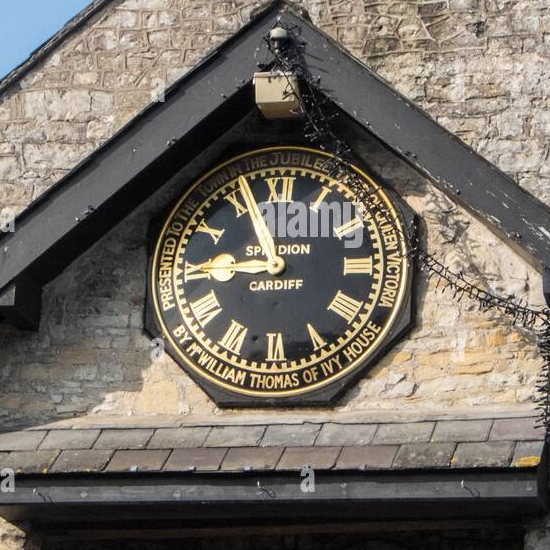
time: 8:56
